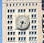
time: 3:32
